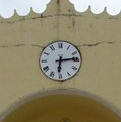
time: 6:13
